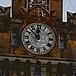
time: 11:52
